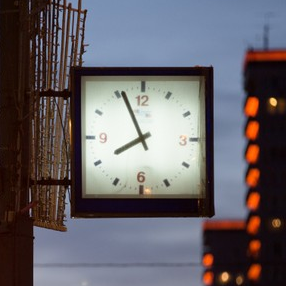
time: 7:56
